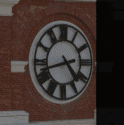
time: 4:42
